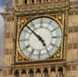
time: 4:52
